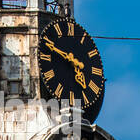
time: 4:48
